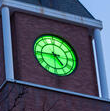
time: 4:44
